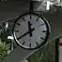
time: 11:39
